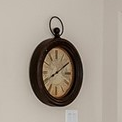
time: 8:10
